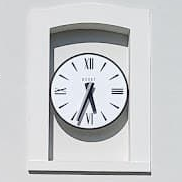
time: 5:33
